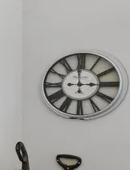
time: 2:59
